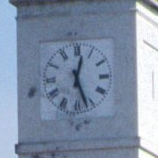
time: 12:26
